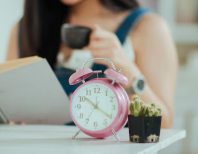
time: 10:20
